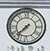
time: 7:37
